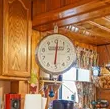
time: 6:01
